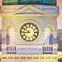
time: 8:50
